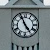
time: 4:55
